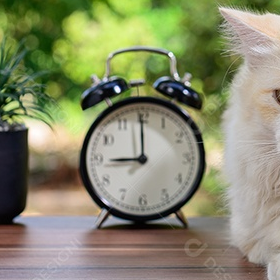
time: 9:00
